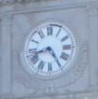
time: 8:24
